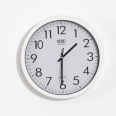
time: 1:30
